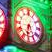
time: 6:32
